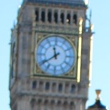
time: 11:39
